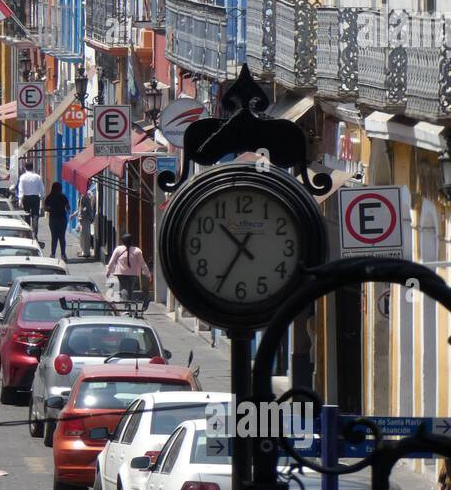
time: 10:34
